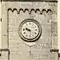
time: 9:45
